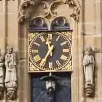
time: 11:35
